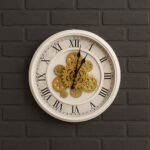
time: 1:02
